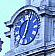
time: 7:02
